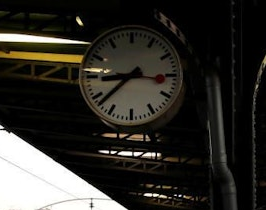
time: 8:38
